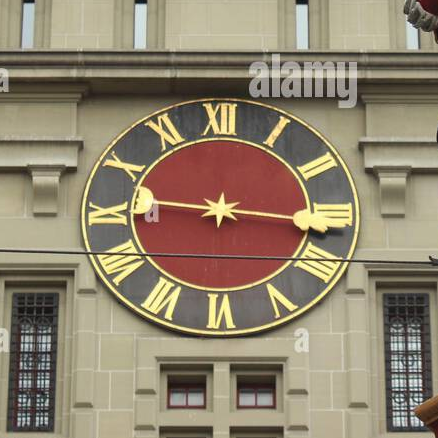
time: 9:16
